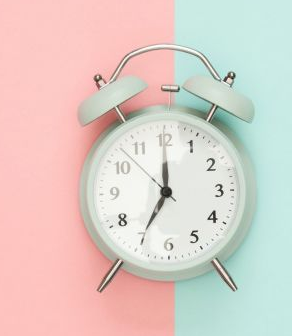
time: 7:00
